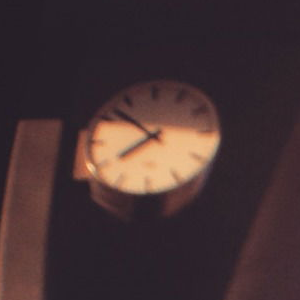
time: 7:52
